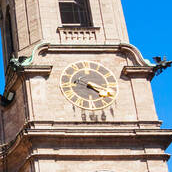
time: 4:17
